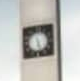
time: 5:26
